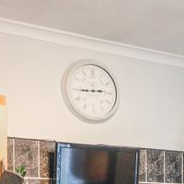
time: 2:44
